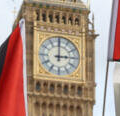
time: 3:00
